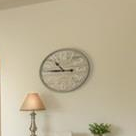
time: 10:45
